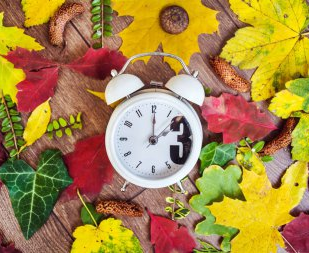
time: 2:00
